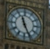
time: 11:25
